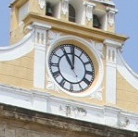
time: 11:00
